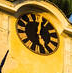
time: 12:26
